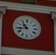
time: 10:43
